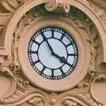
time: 3:54
